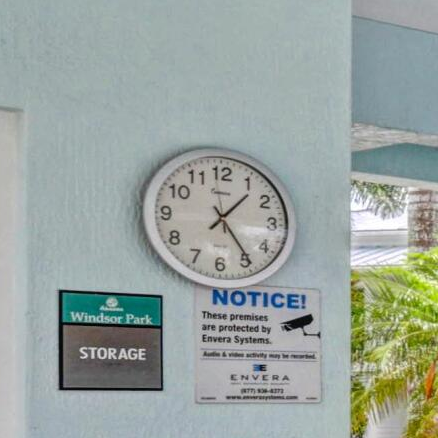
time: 1:24
